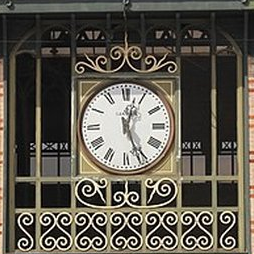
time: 12:26
